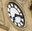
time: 7:13
